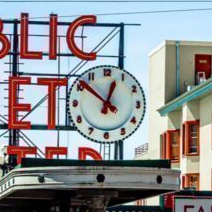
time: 12:51
